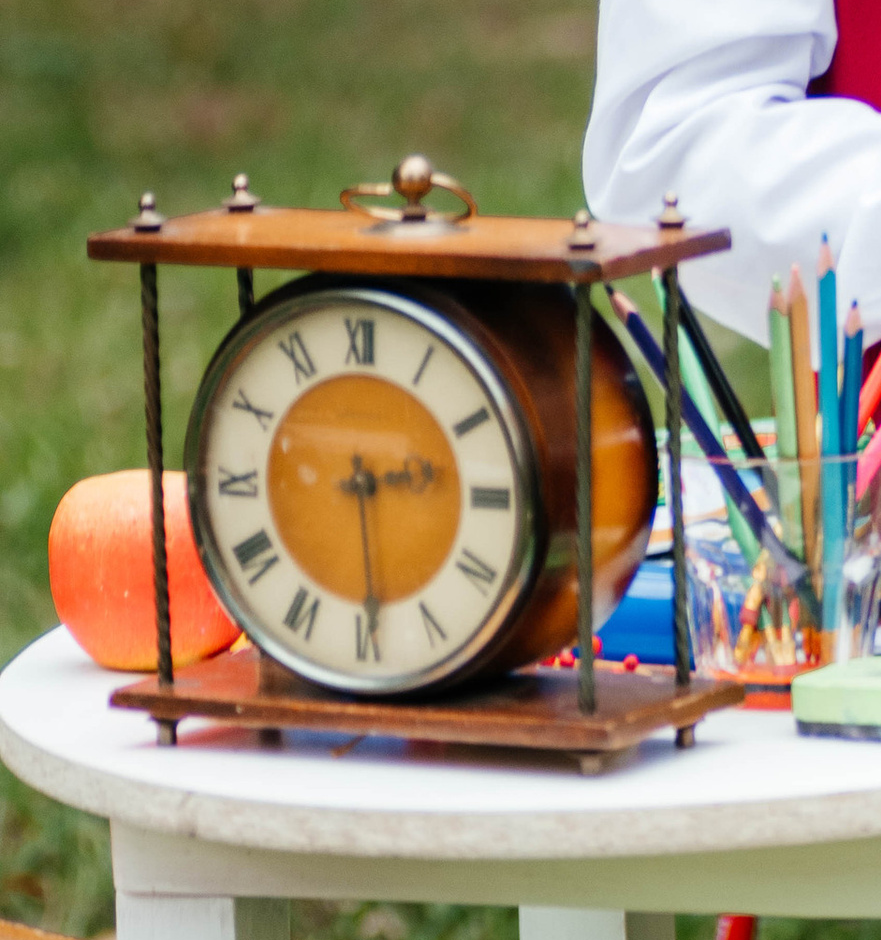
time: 2:29
